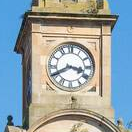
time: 3:40
